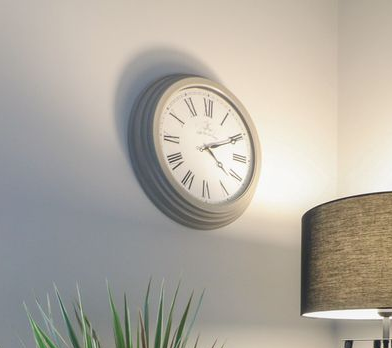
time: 4:10
